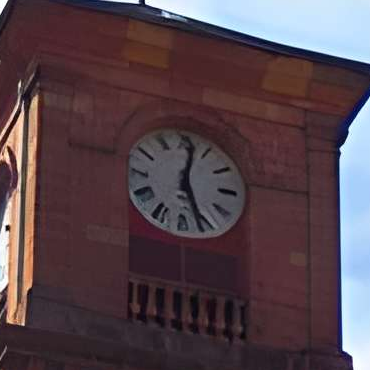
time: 12:26
